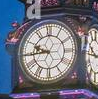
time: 9:44
